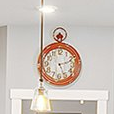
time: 5:11
